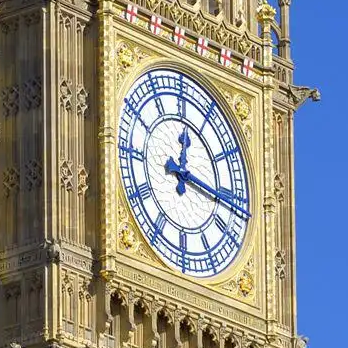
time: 12:16
